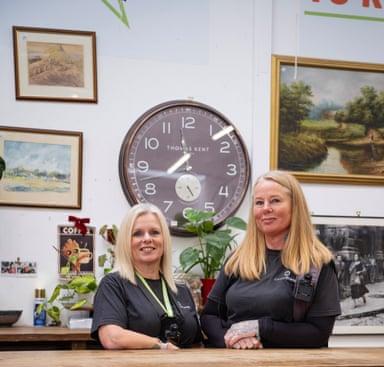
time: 1:43
